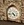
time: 4:42
